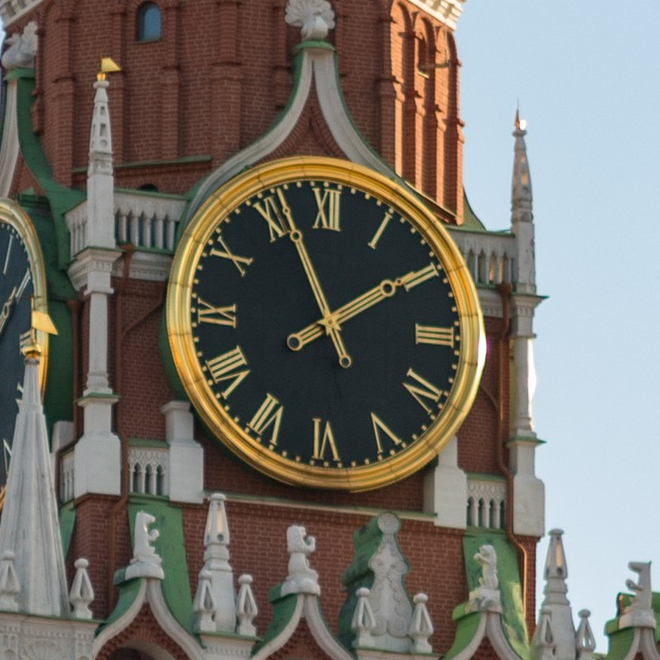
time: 1:56
